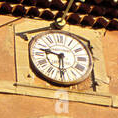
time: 9:30
